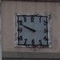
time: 9:49
